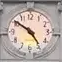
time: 4:50
